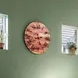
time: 5:14
